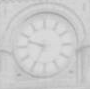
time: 9:34
